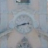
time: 2:42
